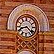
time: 8:22
